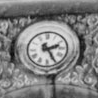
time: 2:25
